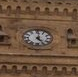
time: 12:24
